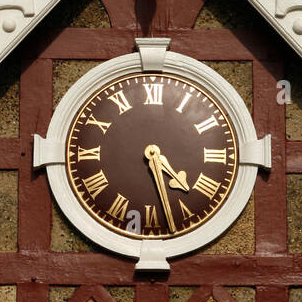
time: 4:27
